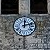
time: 12:12
